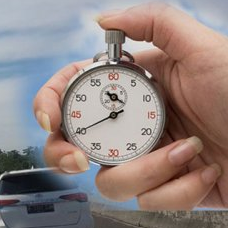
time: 10:40
